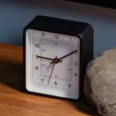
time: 9:09
